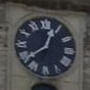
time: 12:38
